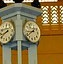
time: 8:38
